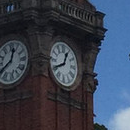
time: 12:40
